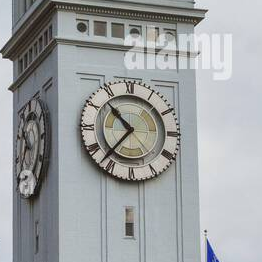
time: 10:37
